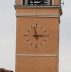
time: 2:57
